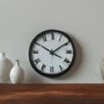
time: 1:50
